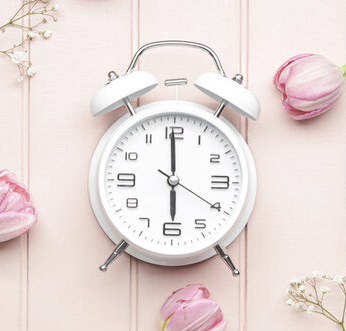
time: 5:59
